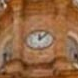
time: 12:07
